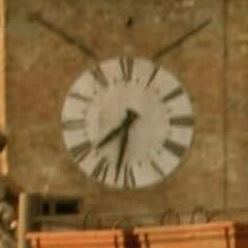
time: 7:32
